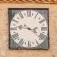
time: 3:46
